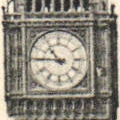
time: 10:45
